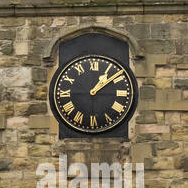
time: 1:08
